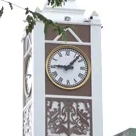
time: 9:07
